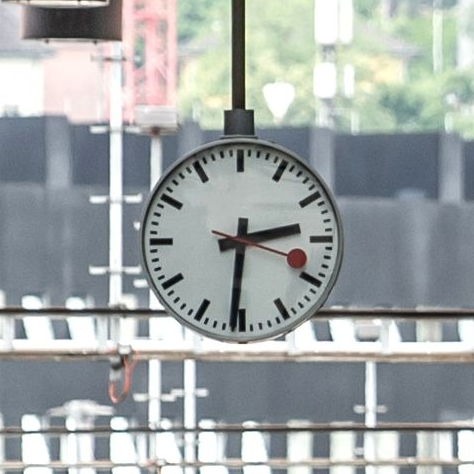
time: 2:31
